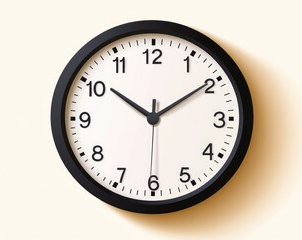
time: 10:09
